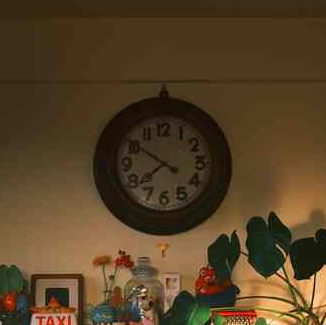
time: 7:50
